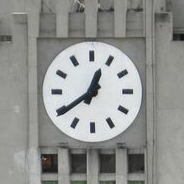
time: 12:39
